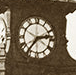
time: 2:36
